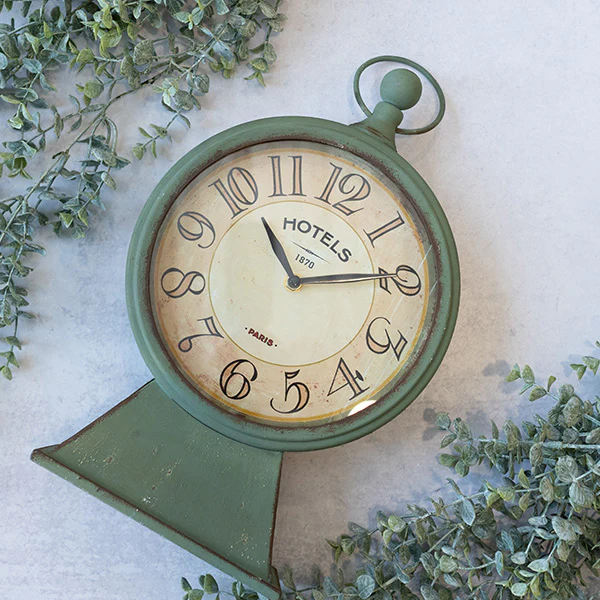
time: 11:14
